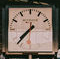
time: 7:37
